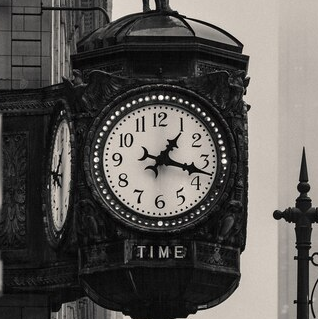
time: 1:17
